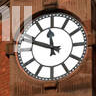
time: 11:47
